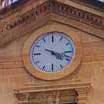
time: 4:18
